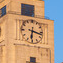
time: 6:17
